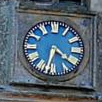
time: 6:21
